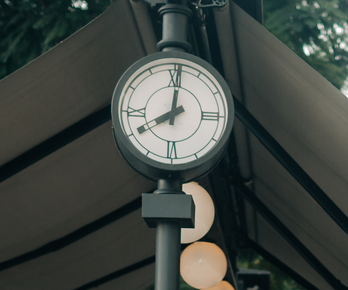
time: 8:01
